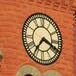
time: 7:18
